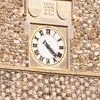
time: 4:22
